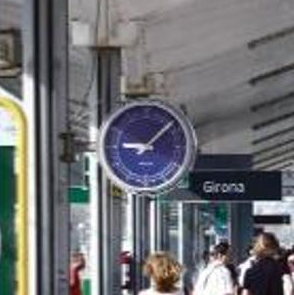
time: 9:08
